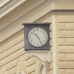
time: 10:24
